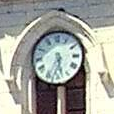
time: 5:34
